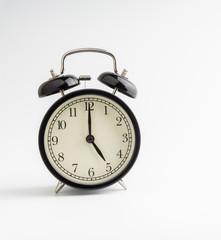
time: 5:00
